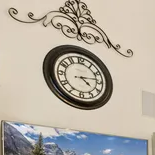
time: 4:13
